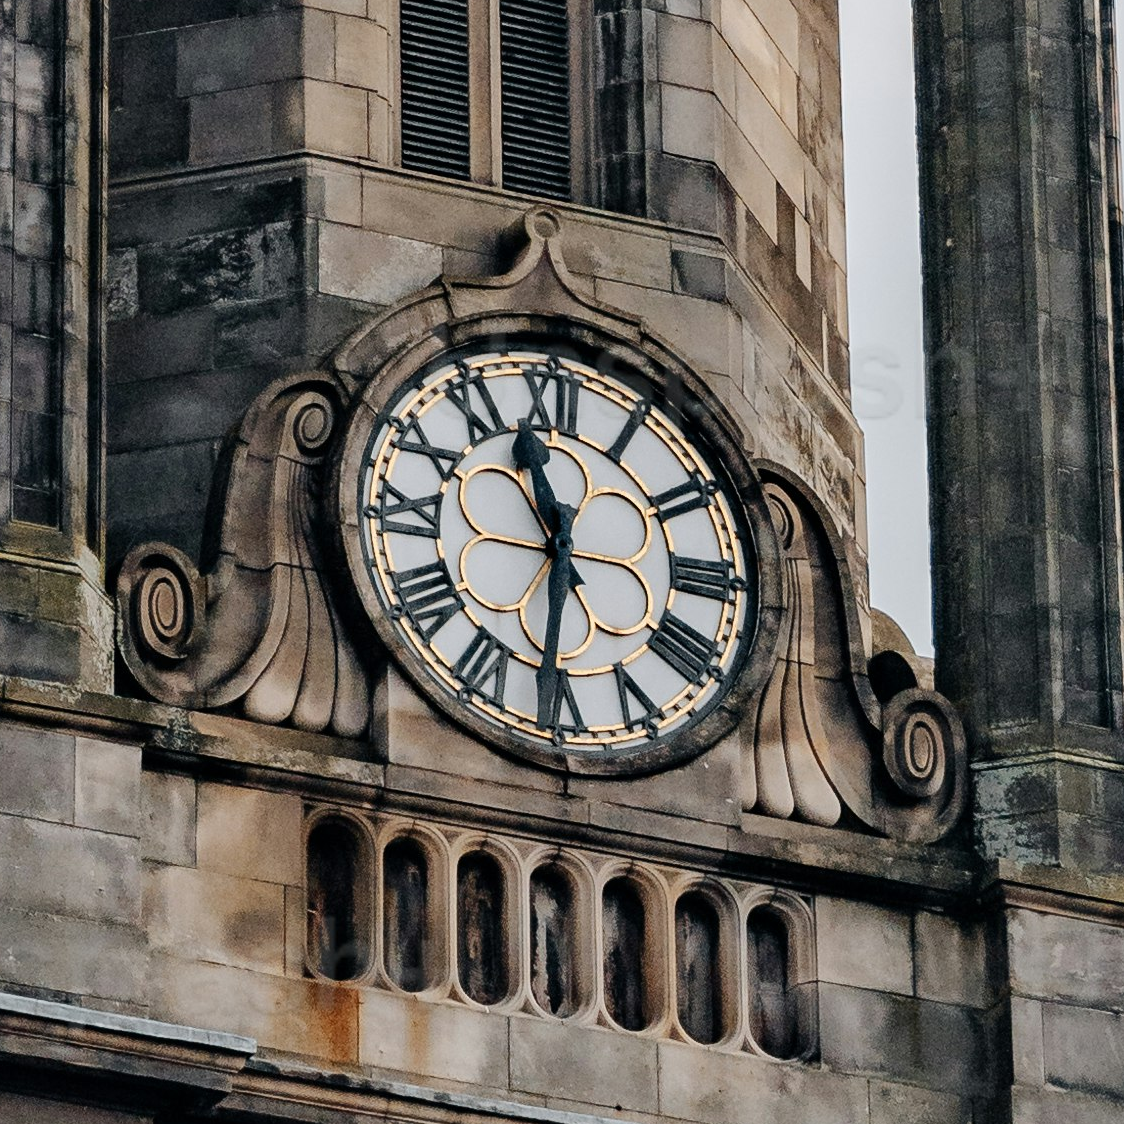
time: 11:31
